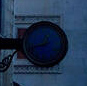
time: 12:42
